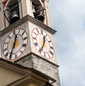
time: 12:34
